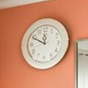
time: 11:49
